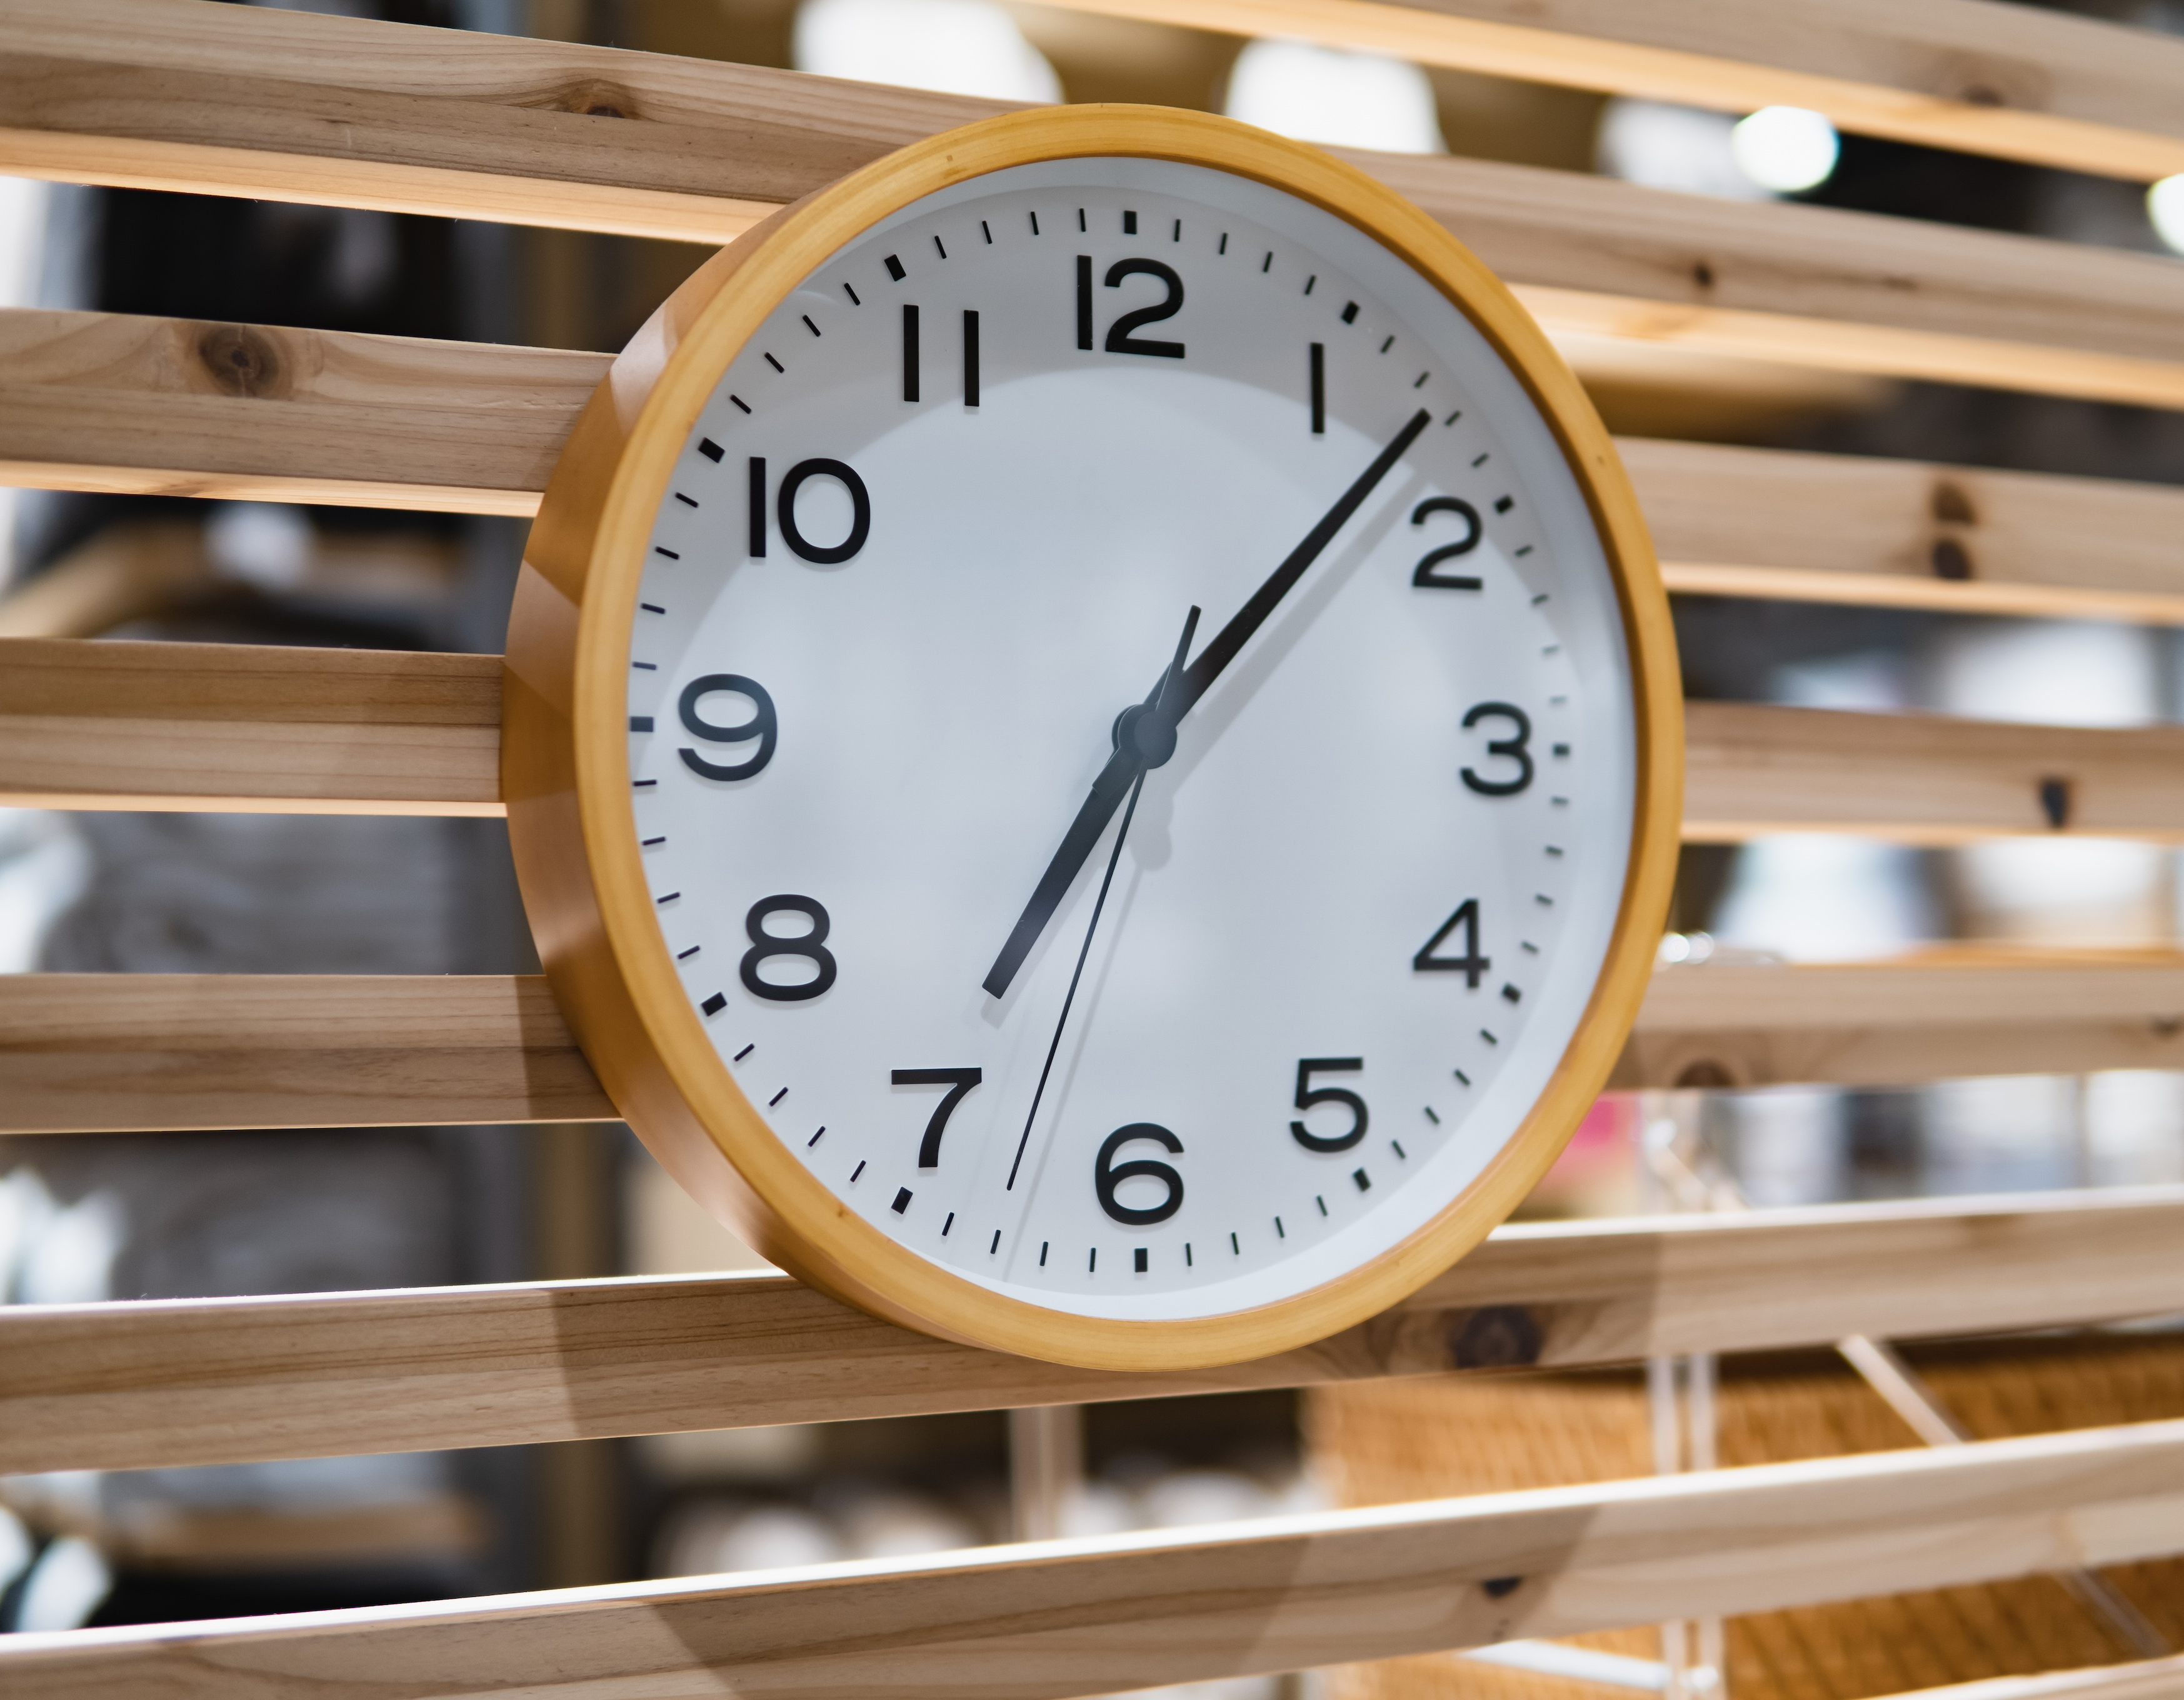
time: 7:07
